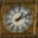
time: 1:11
